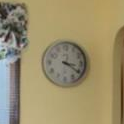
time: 3:20
